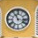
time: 11:17
